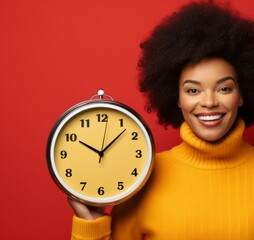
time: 10:07
